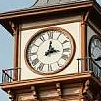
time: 2:00
